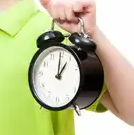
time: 1:00
